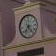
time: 7:23
